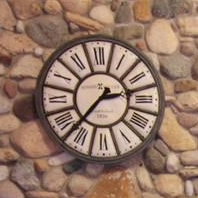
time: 2:37
